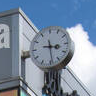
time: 3:28
